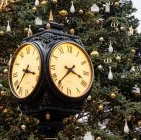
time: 3:37
